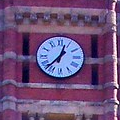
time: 12:37
